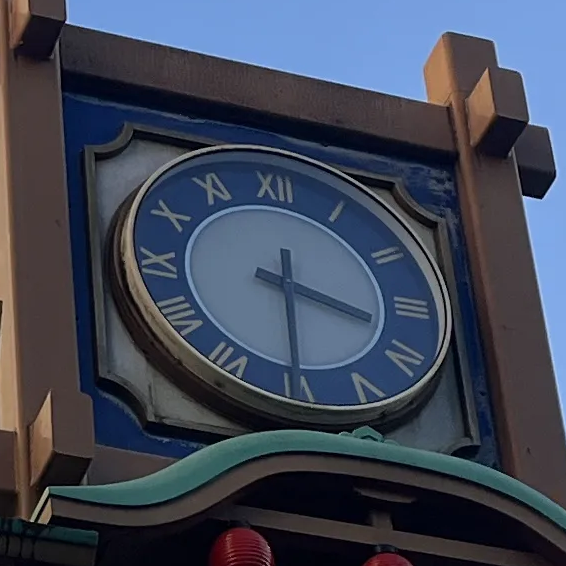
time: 3:30
